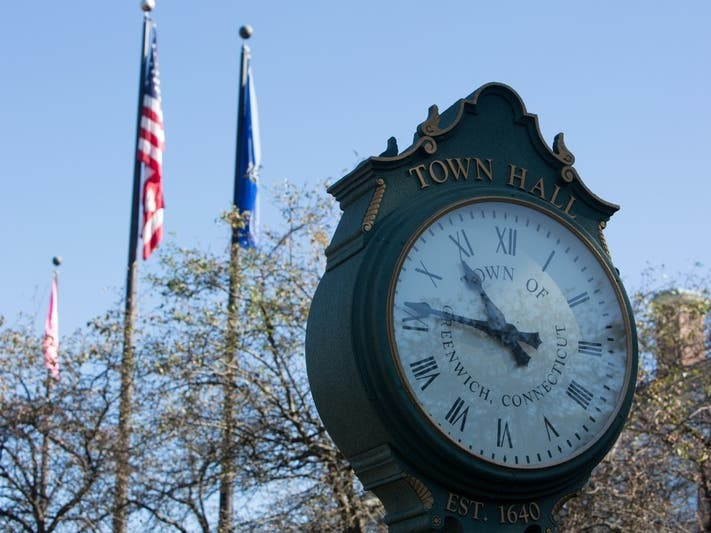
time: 10:46
